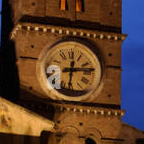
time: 12:13
